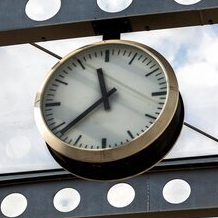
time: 11:38
